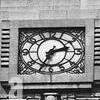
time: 2:34
